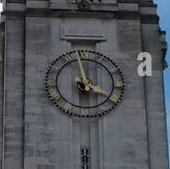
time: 3:58
